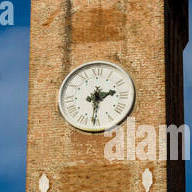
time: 2:30
